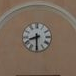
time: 8:30
